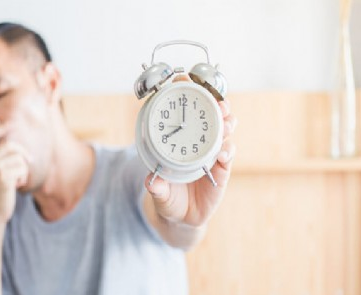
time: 8:00
